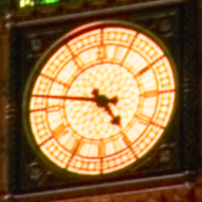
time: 4:46
